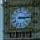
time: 3:14
